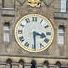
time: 3:29
